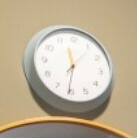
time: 11:30
